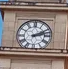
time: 2:12
